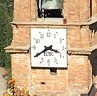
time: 3:40
